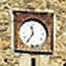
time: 11:35
